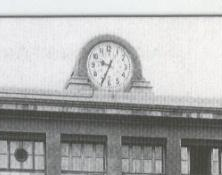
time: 9:34
